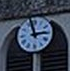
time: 2:57
